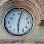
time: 6:03
